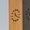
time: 11:21
